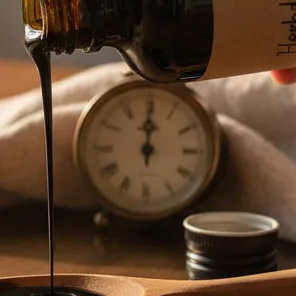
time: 12:00
